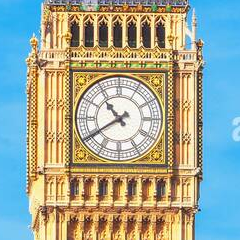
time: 10:39
